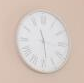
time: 11:28
